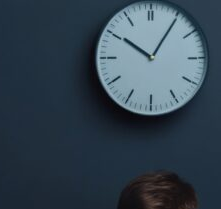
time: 10:05
